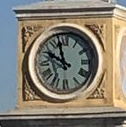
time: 9:57
